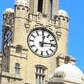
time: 12:13
